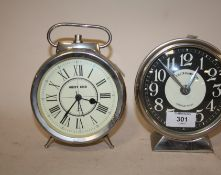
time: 3:35
